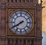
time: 7:40
